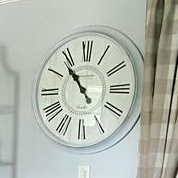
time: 10:53
